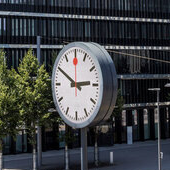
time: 2:50
